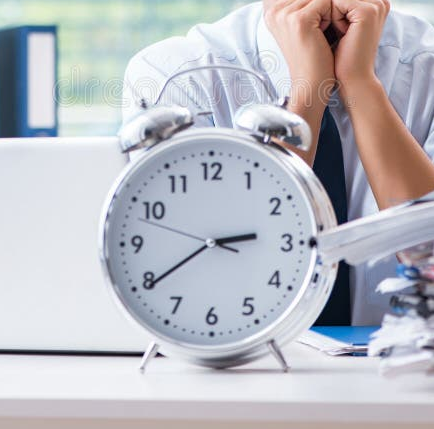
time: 2:39
